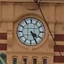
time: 4:25
